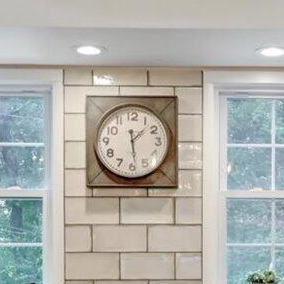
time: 1:28
